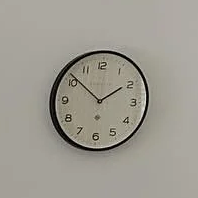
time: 1:51
